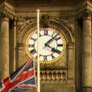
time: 4:07
